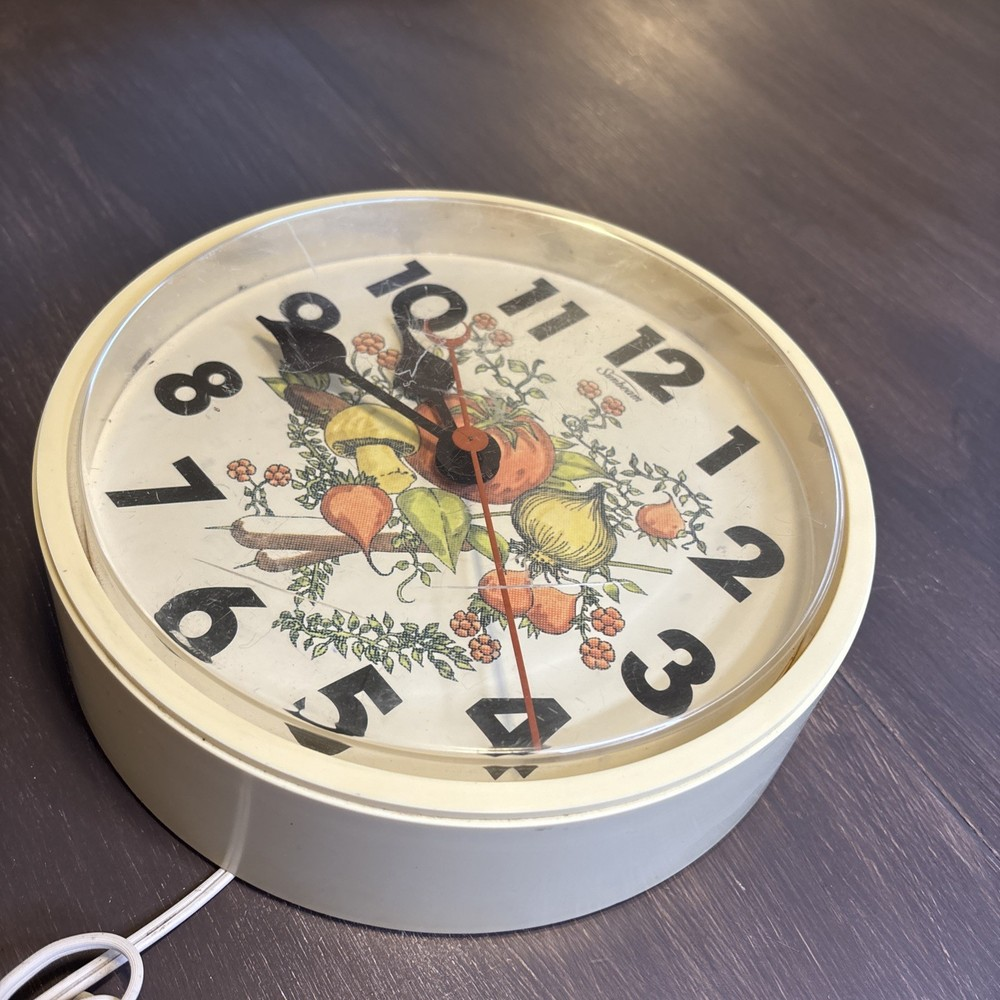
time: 11:53
